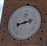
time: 8:12
